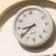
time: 8:38
